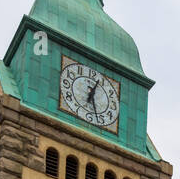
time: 12:26
